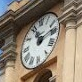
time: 11:13
